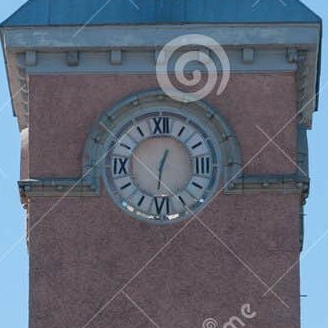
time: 12:31
